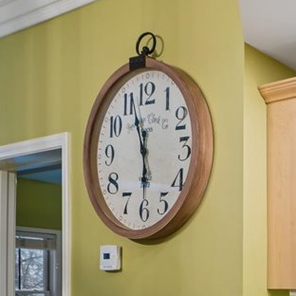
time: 5:56
